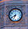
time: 6:40
